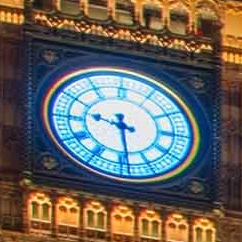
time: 9:28
